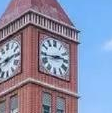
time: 2:43
